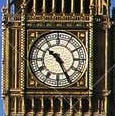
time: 10:25
